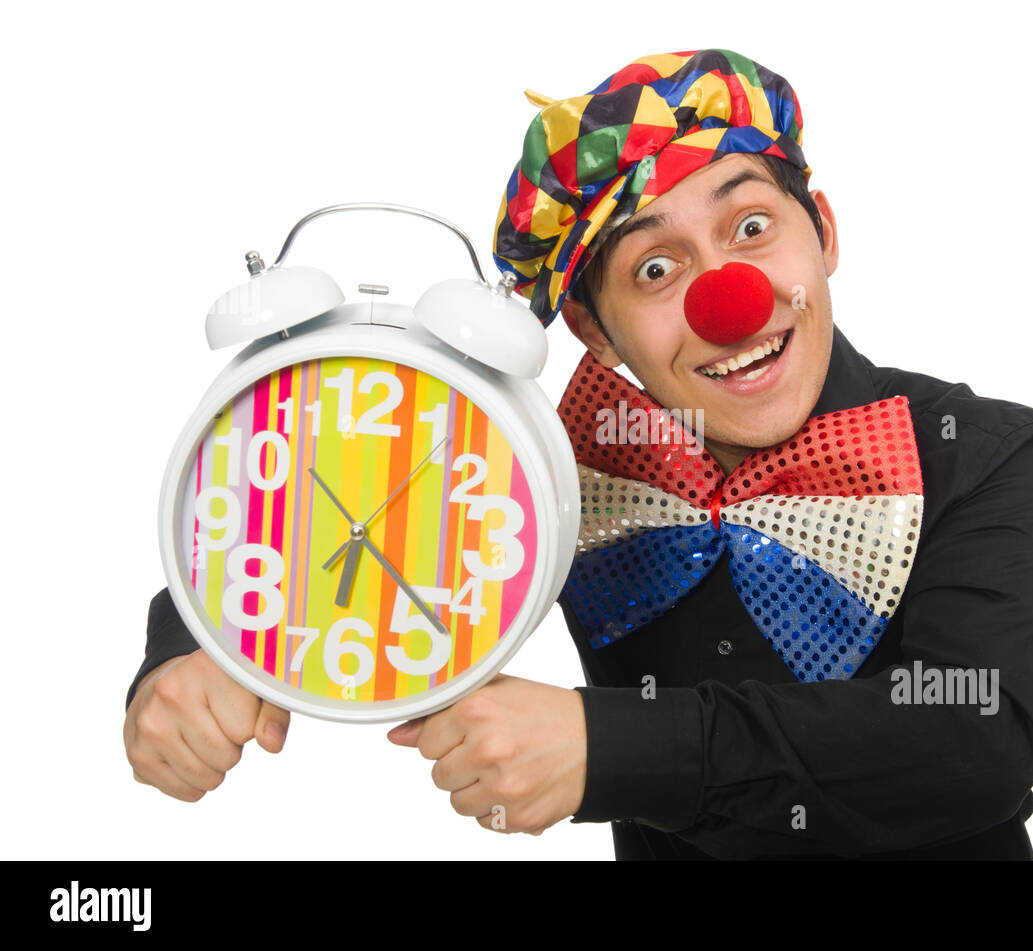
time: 6:22
